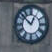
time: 12:52
